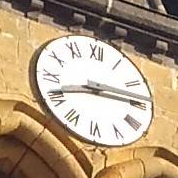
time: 8:14
